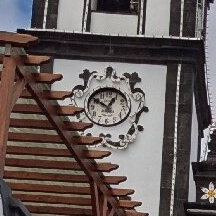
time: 12:50
